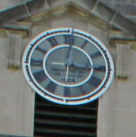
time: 12:16
